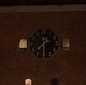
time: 7:30
